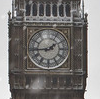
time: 1:44
